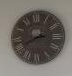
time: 2:40
